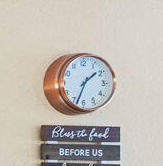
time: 1:33
